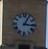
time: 3:04
